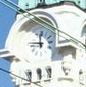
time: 11:46
